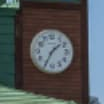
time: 1:34
